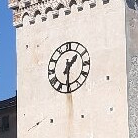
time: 1:30
